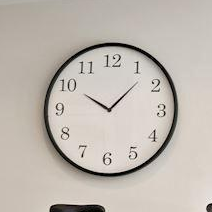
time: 10:07
